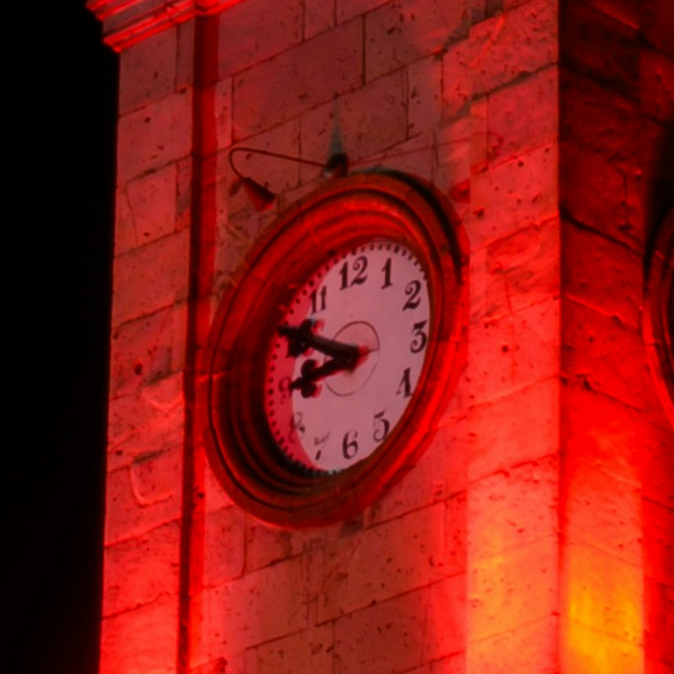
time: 8:49
